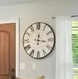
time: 12:16
